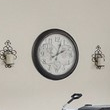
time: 2:03
